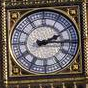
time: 2:15
